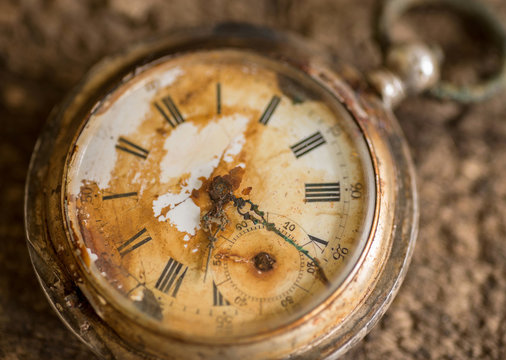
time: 6:21
